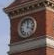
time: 12:18
